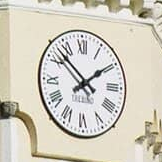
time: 1:52
